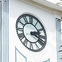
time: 2:18
